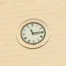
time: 11:14
